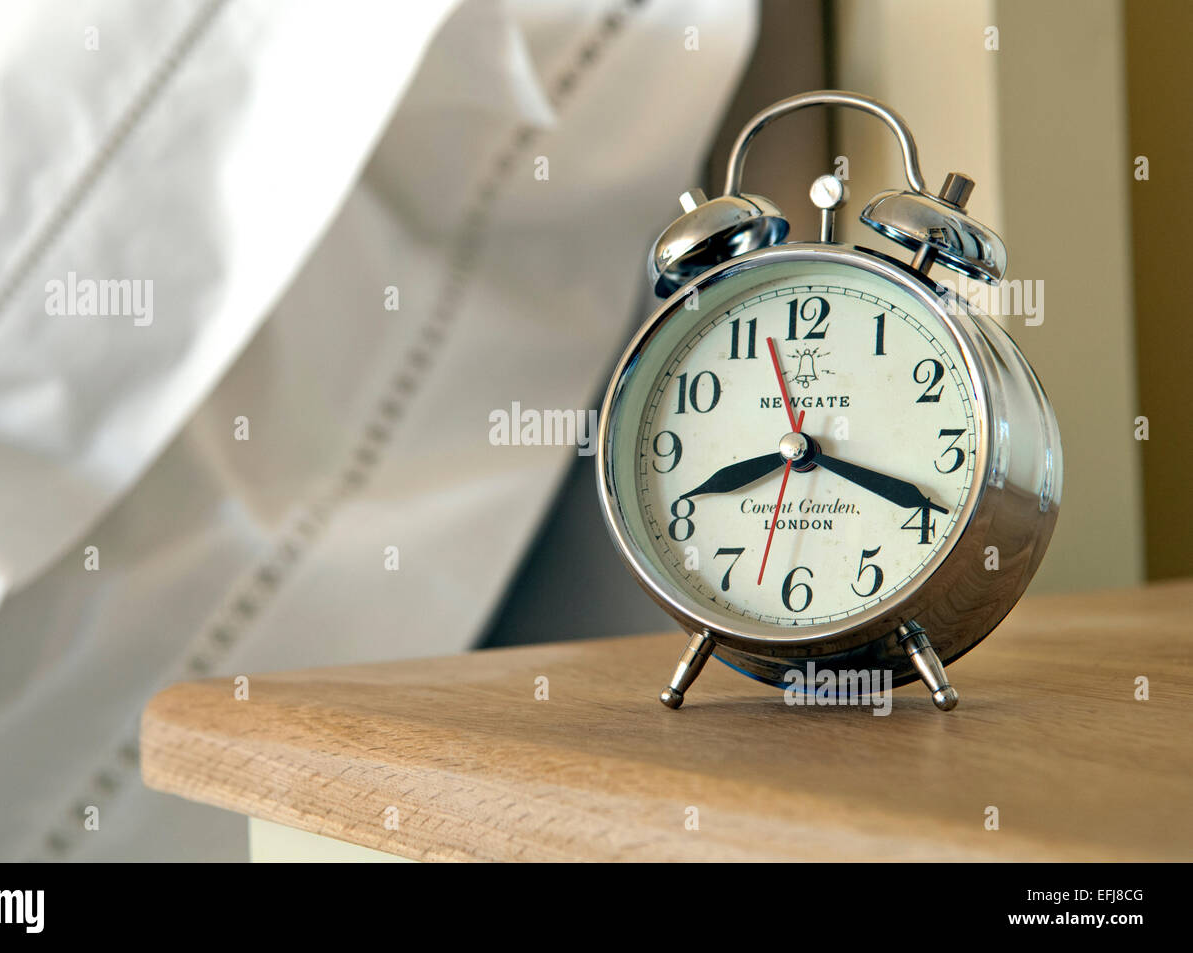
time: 8:18
